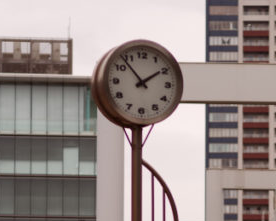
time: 1:53
